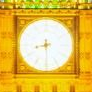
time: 8:29
